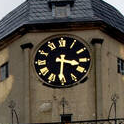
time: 3:30
